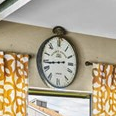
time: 8:43
